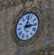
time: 3:02
